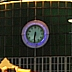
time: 6:31
